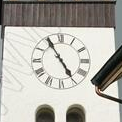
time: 4:54
